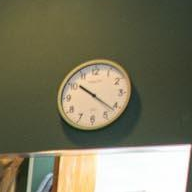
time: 10:21
